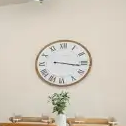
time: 3:16
